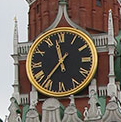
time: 11:36
